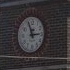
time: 2:57
